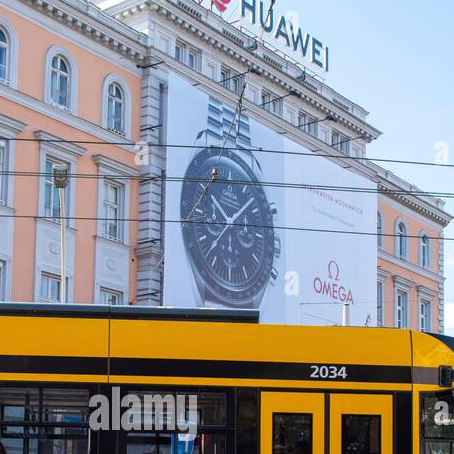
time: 10:07
